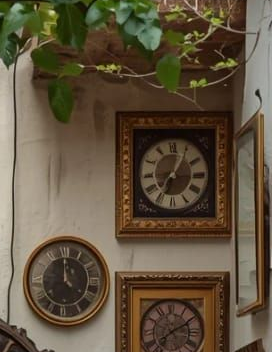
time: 7:04
